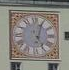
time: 5:03
